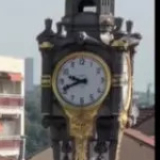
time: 9:41
